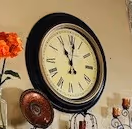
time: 11:01
